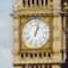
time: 1:02
